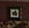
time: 9:01
